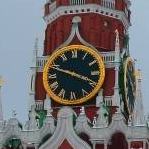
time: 3:48
